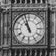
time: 10:57
